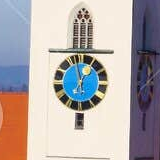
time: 12:58
